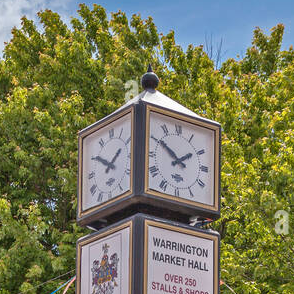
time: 1:50
